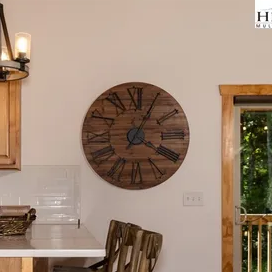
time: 4:04
